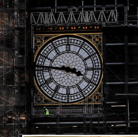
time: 3:45
